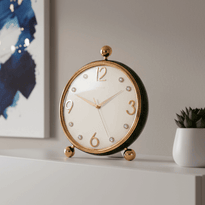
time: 1:49
